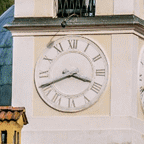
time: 3:41
